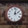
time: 2:02
